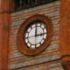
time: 3:00
